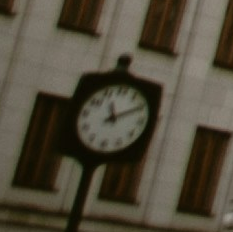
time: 11:09
